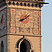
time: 8:07
